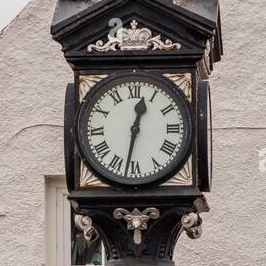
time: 12:32
